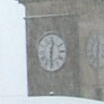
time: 12:30
